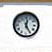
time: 12:24
